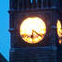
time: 6:21
